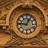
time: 12:46
